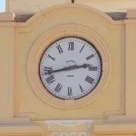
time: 2:42
